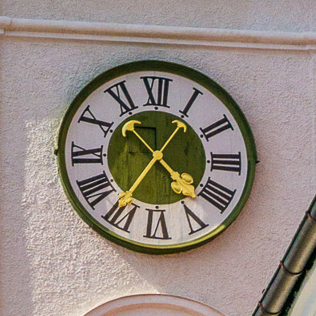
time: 4:35
